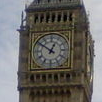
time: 12:51
